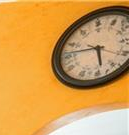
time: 5:46
